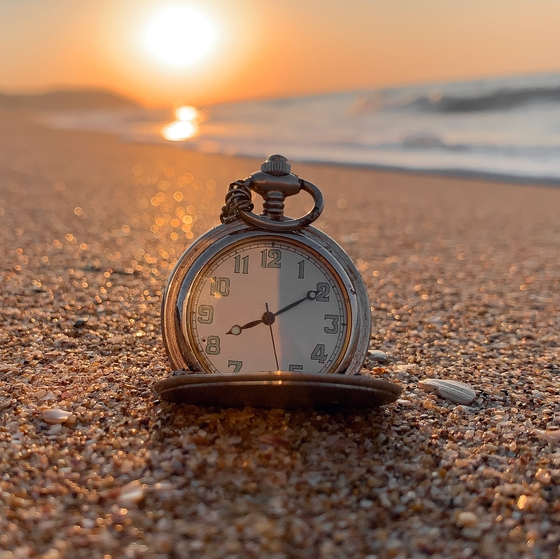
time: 8:09
